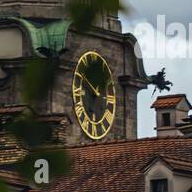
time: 9:50
